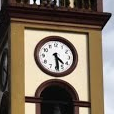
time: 4:28
